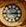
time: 2:44
